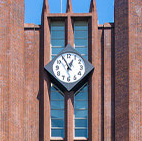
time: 12:55
